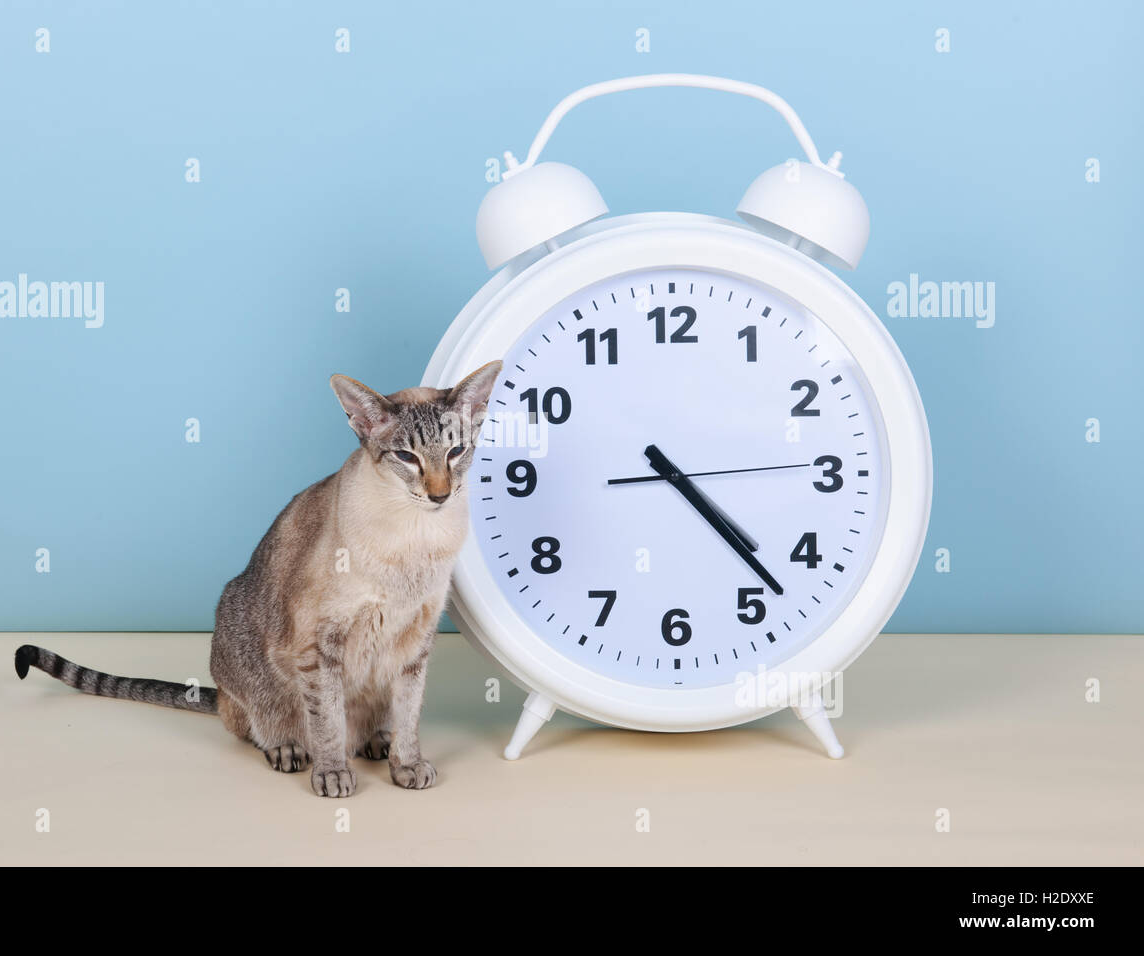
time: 4:22
